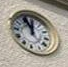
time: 11:55
